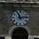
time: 11:13
